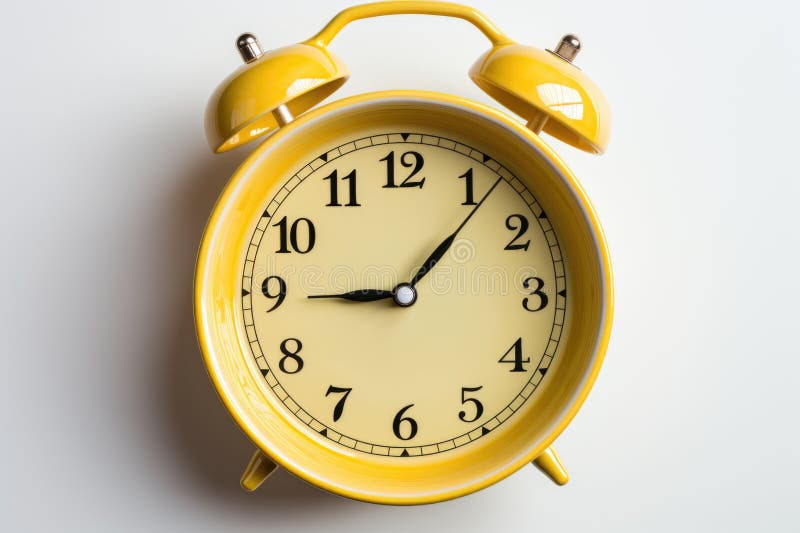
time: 9:06
